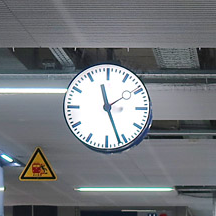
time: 11:26
